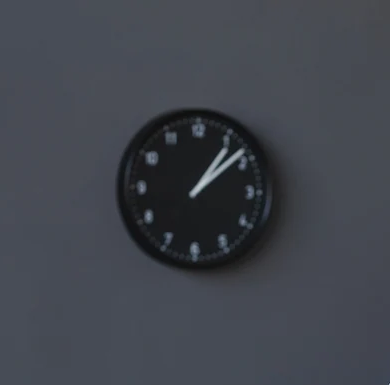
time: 1:08
